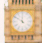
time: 11:50
